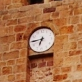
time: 6:44
